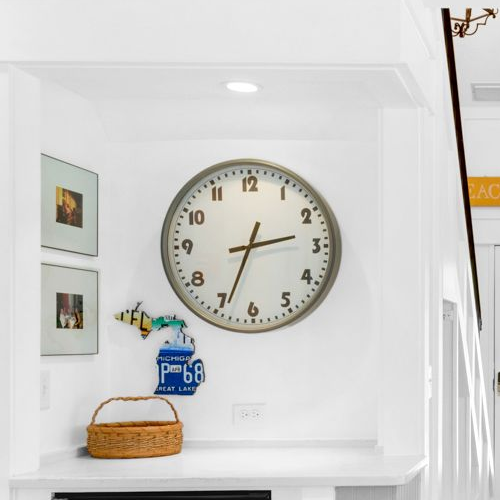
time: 2:33
